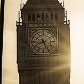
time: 8:26
